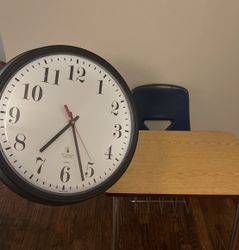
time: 7:26
